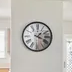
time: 1:18
